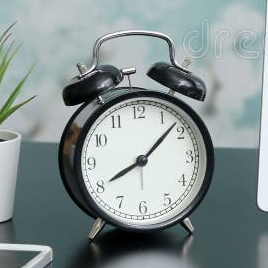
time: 8:07
